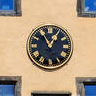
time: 12:55
